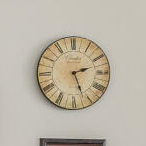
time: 2:26
